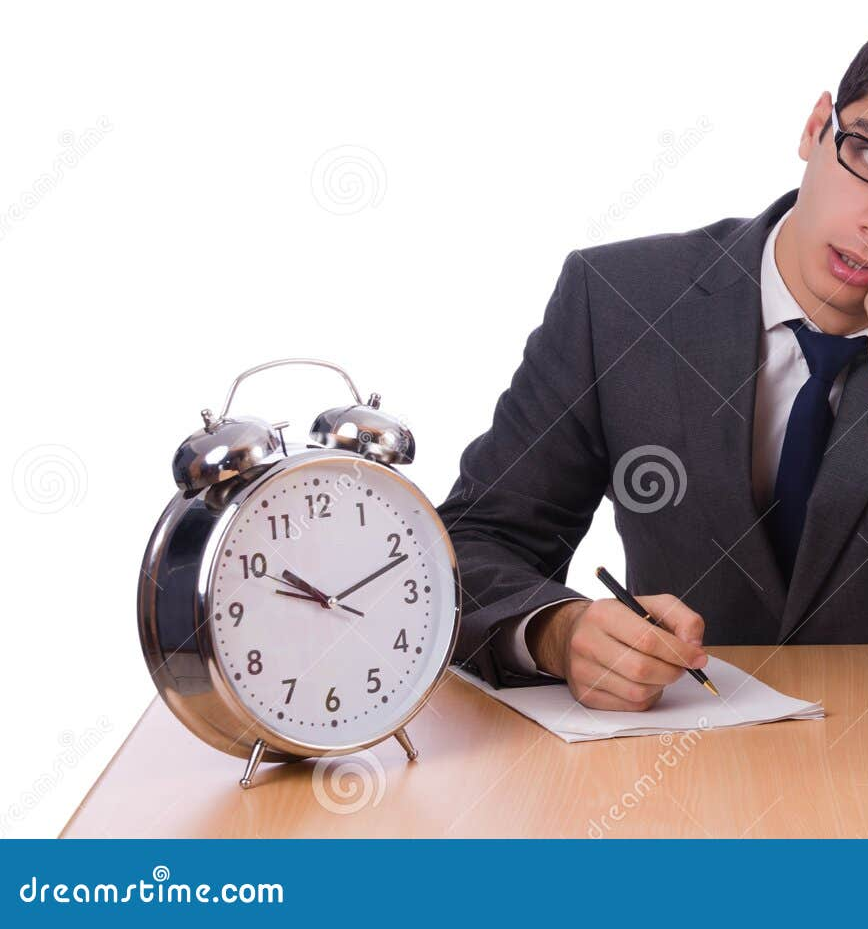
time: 10:11
